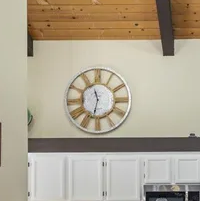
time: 11:32
